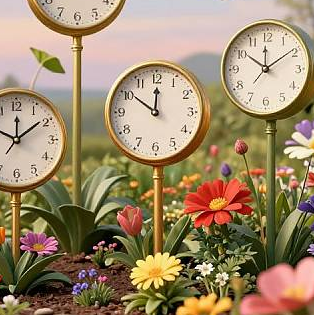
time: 11:50
